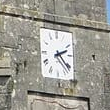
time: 2:21
